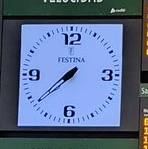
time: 7:37
